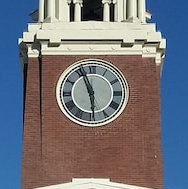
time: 5:56
